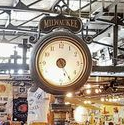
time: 5:25
